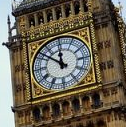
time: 11:51
